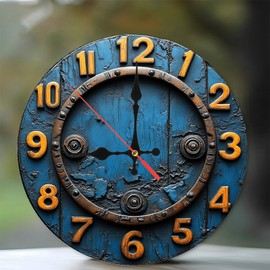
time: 8:59
